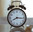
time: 8:16
